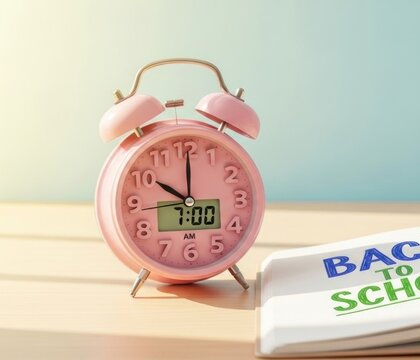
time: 10:00
